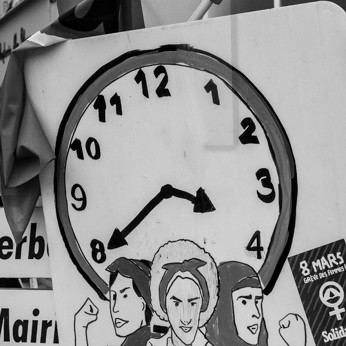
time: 3:39
